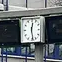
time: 12:28
